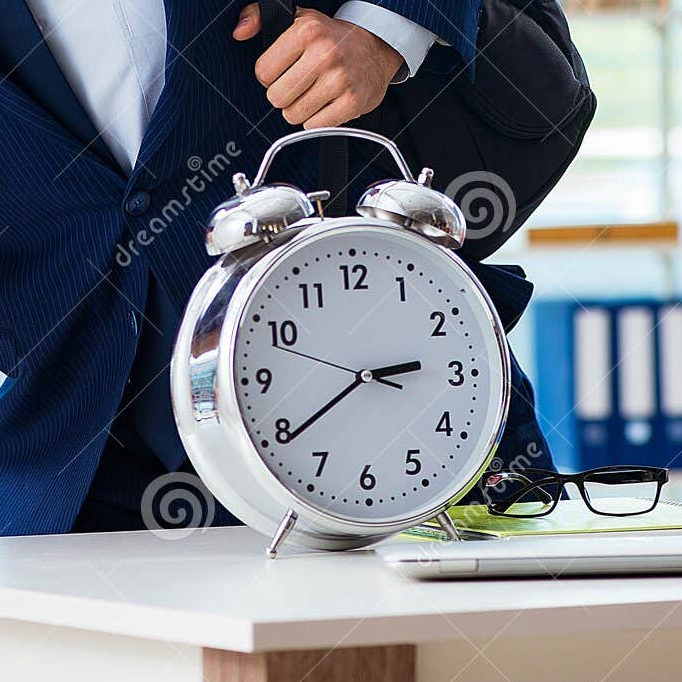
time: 2:39
